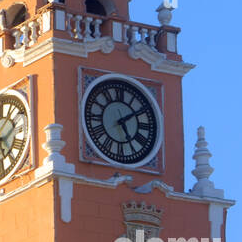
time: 5:09
